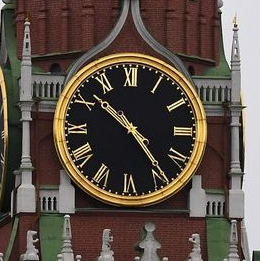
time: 10:24
